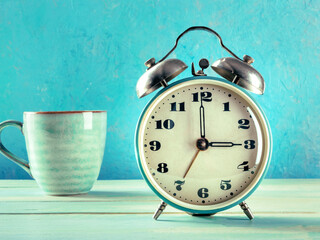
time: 3:00
